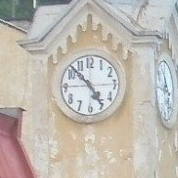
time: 4:52
